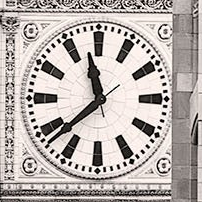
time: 11:37
